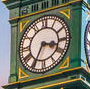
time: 3:34
